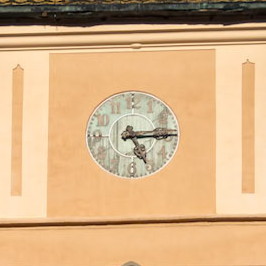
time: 5:14
